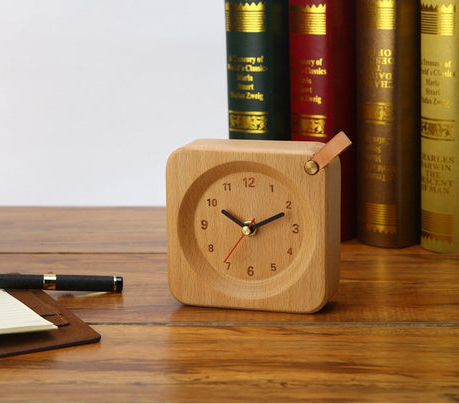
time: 10:11
